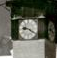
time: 9:20
